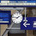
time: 1:46
